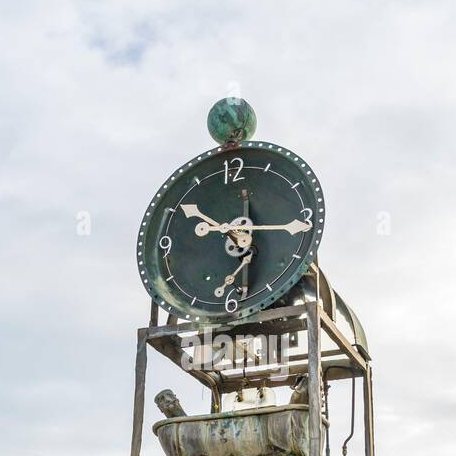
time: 10:16
